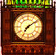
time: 7:09
